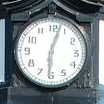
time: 6:03
